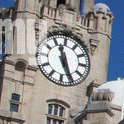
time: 11:25
